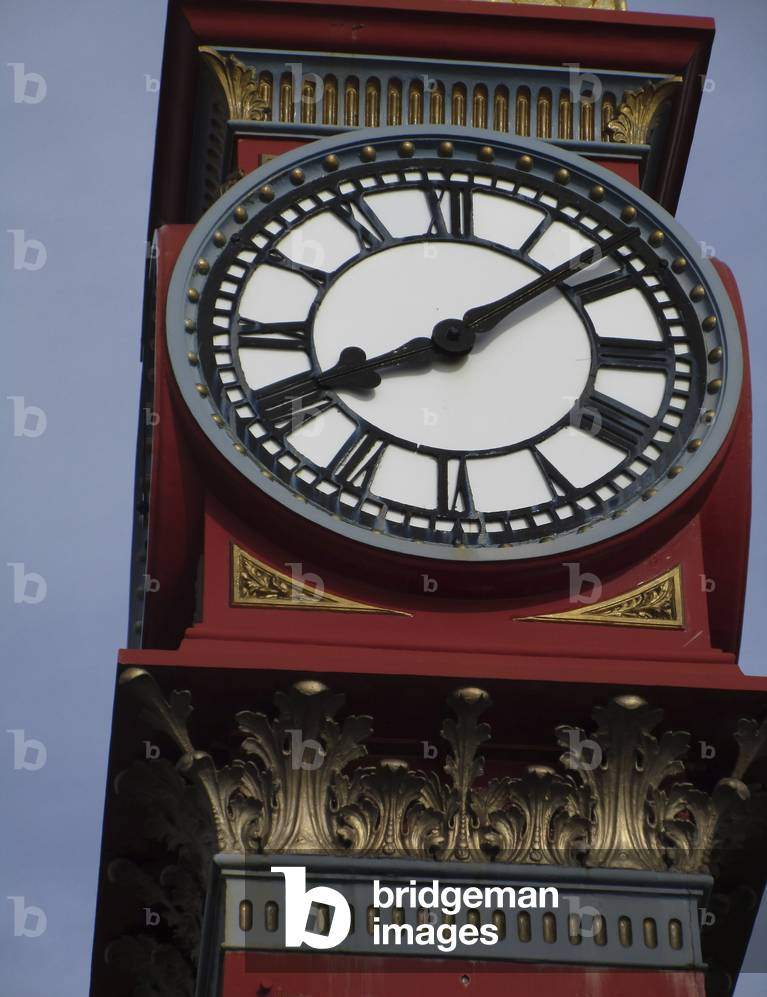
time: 8:08
